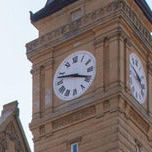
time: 3:47
